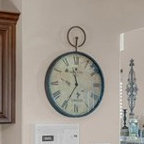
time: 11:35
